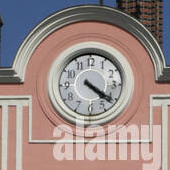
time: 4:20
